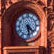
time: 4:28
